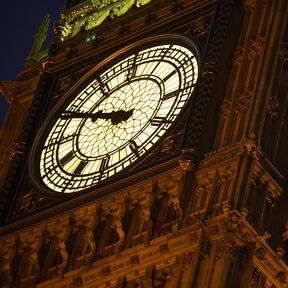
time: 9:49
